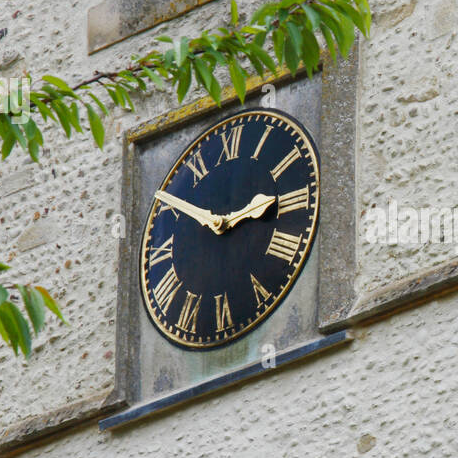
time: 2:50
